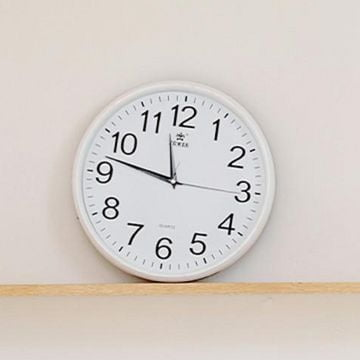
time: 11:47
